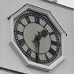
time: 1:30
